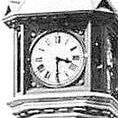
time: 3:29
